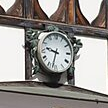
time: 9:32
